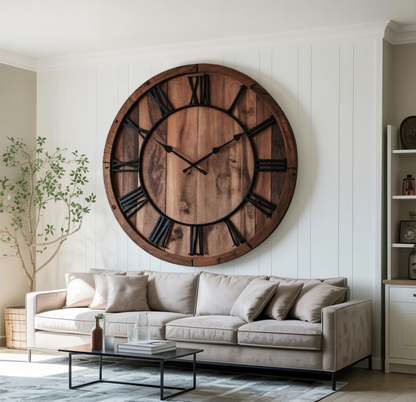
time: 10:09
